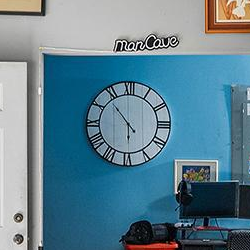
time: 5:53
